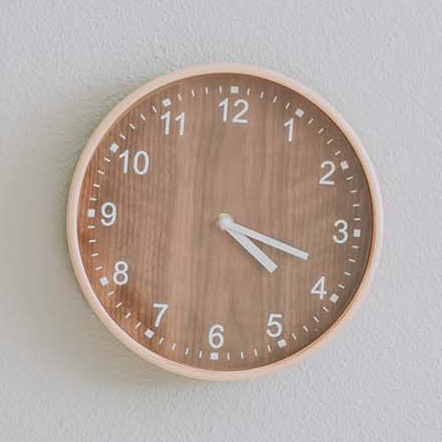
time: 4:18
